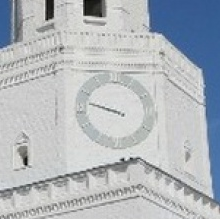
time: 9:47
